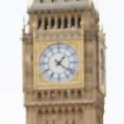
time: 1:21
